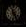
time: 11:24
